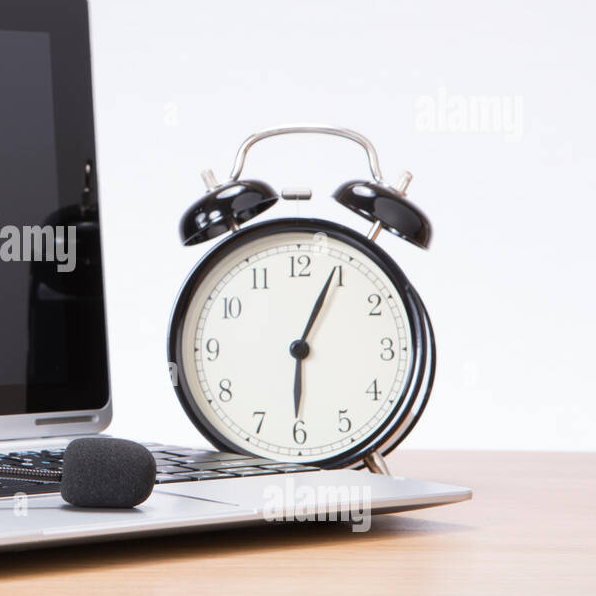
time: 6:04
